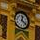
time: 12:20
